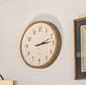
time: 2:13
